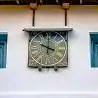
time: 10:00
